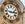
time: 2:46
